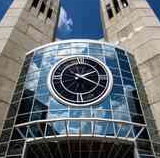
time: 2:18
